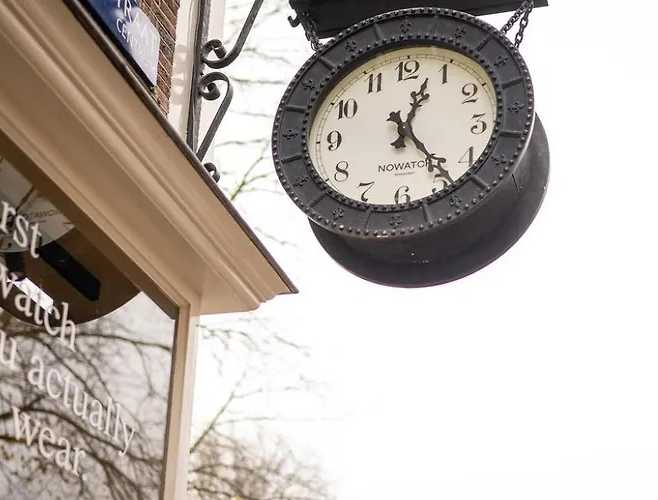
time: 12:23
